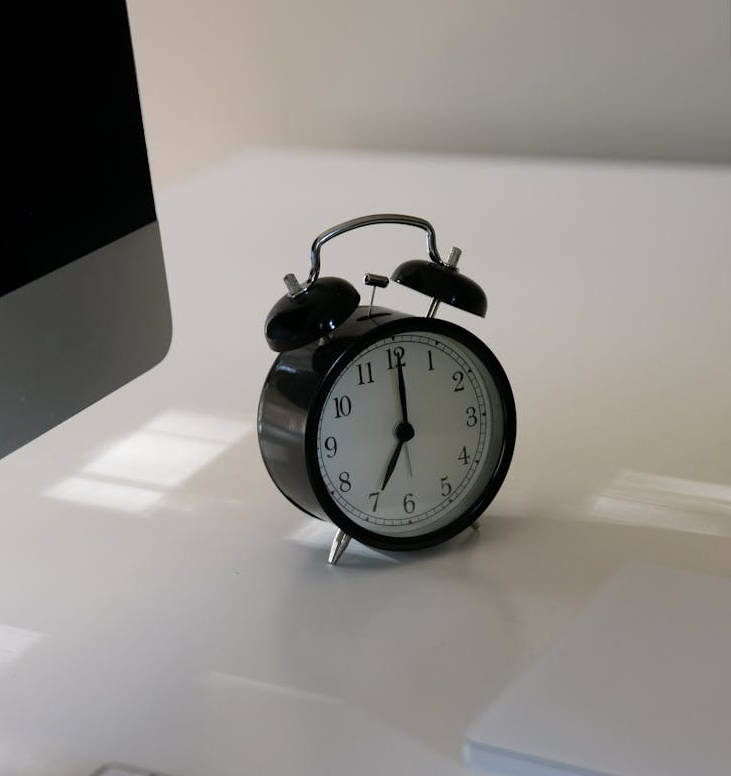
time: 7:00
